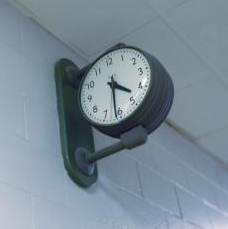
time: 4:31
